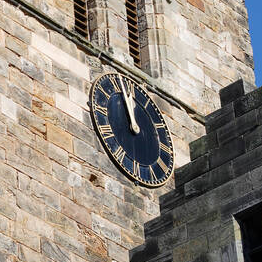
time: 11:57
